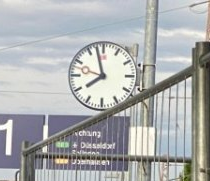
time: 7:57
